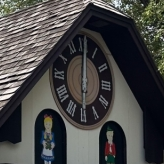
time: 6:00
